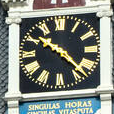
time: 10:22
